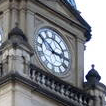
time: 2:50
